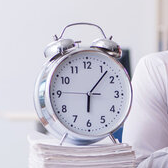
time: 6:07
